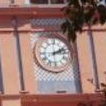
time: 2:12
